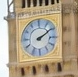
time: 2:09
